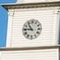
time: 10:45
